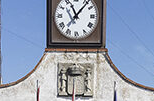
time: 11:07
